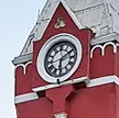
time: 6:09
